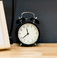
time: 11:38
